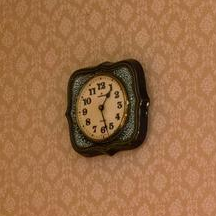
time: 1:27
